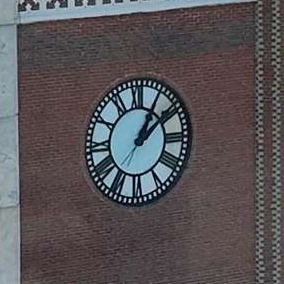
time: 1:08
